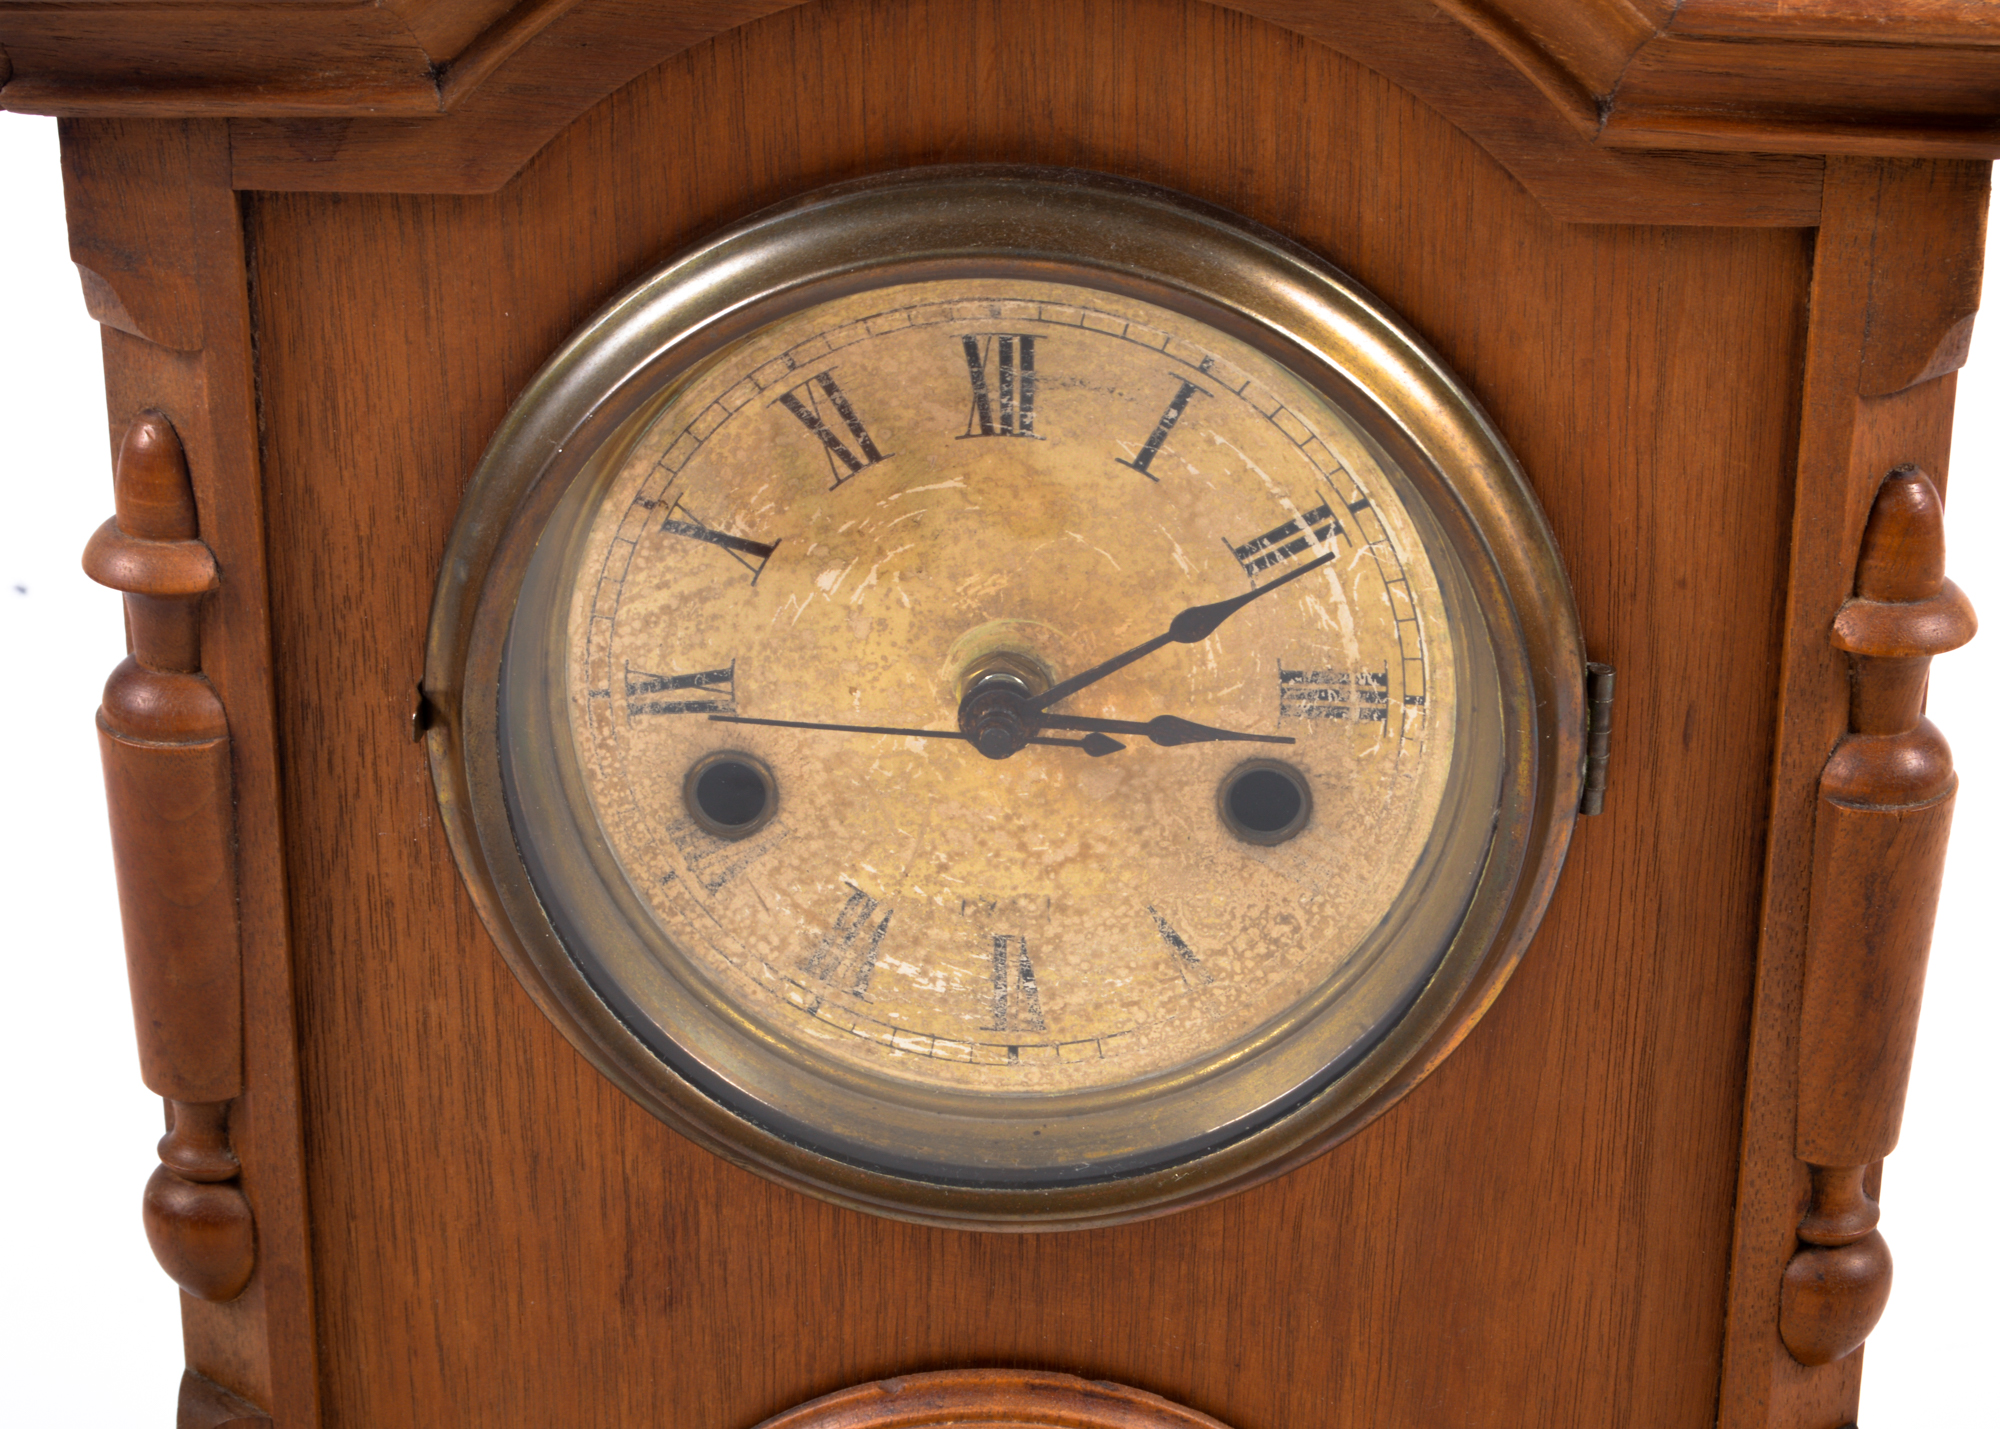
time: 3:10
